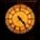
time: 4:23
